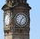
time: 1:33
